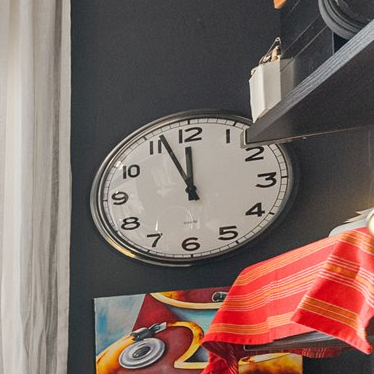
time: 11:56
